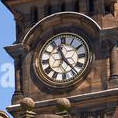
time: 11:23
